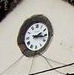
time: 2:16
